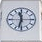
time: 11:32
